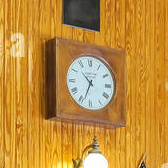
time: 10:33
